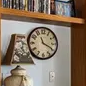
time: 11:19
